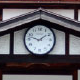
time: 1:47
